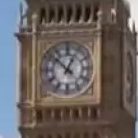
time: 12:52
